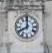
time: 7:59
